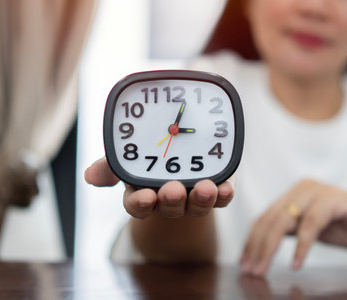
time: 3:03
